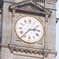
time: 2:36
